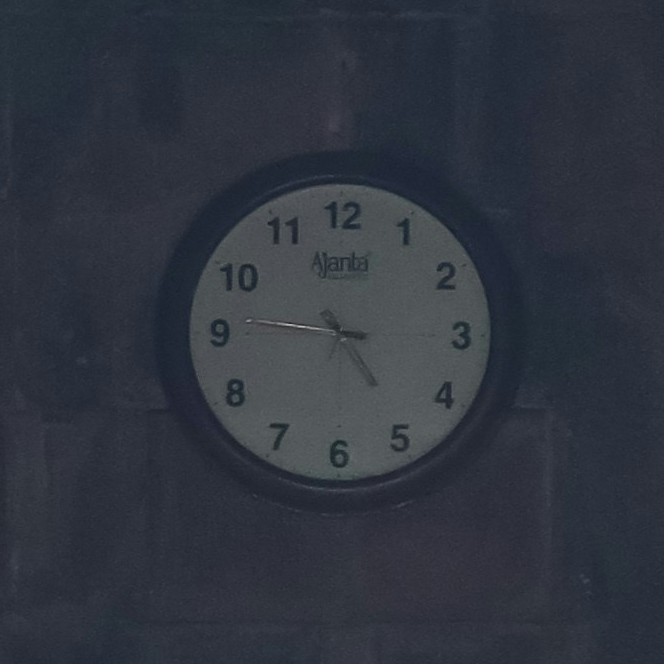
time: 4:45
